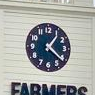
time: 1:21
